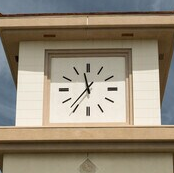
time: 11:36
